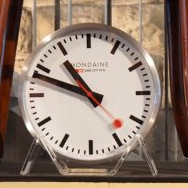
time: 10:48
